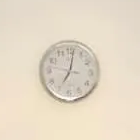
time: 7:01
